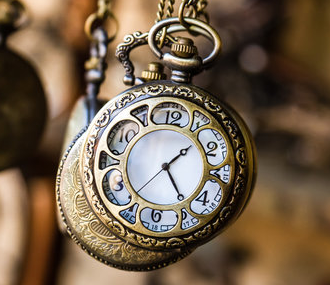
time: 1:24
